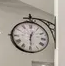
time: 12:29
